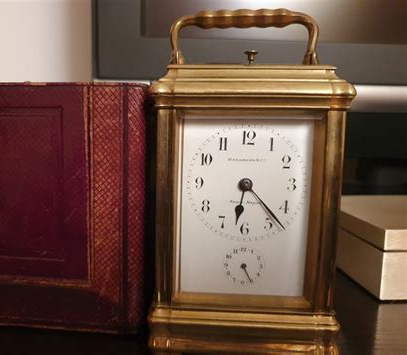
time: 6:21
